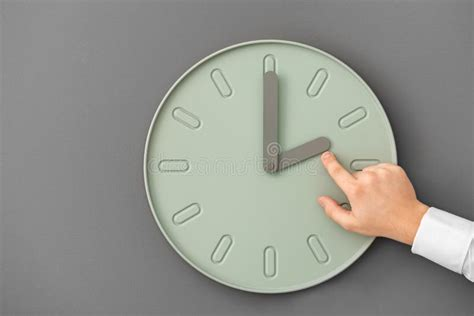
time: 2:00
